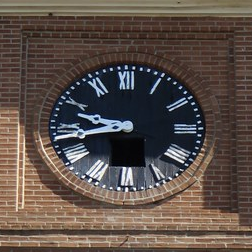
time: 9:43
